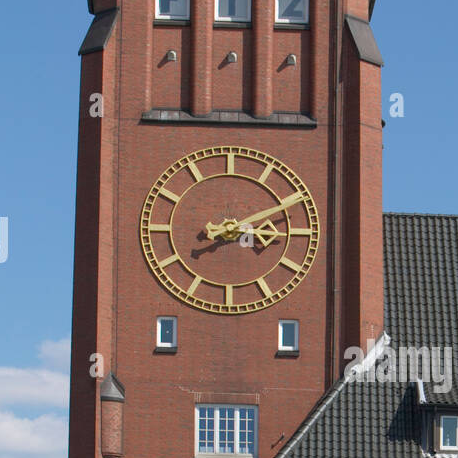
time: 3:10
